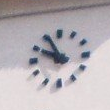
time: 9:55
